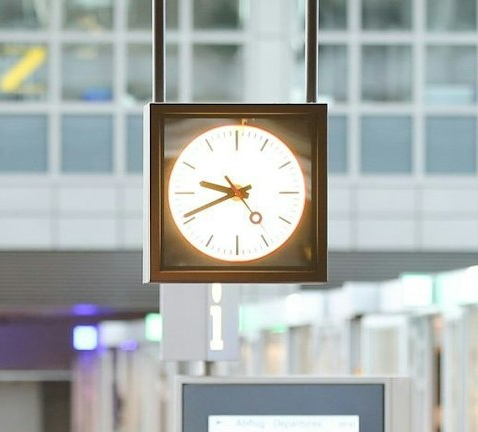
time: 9:41
